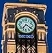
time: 7:20
